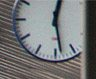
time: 12:28
